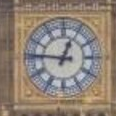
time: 12:46
